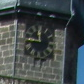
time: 11:46
